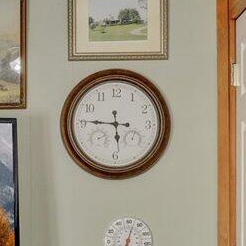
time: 5:45
